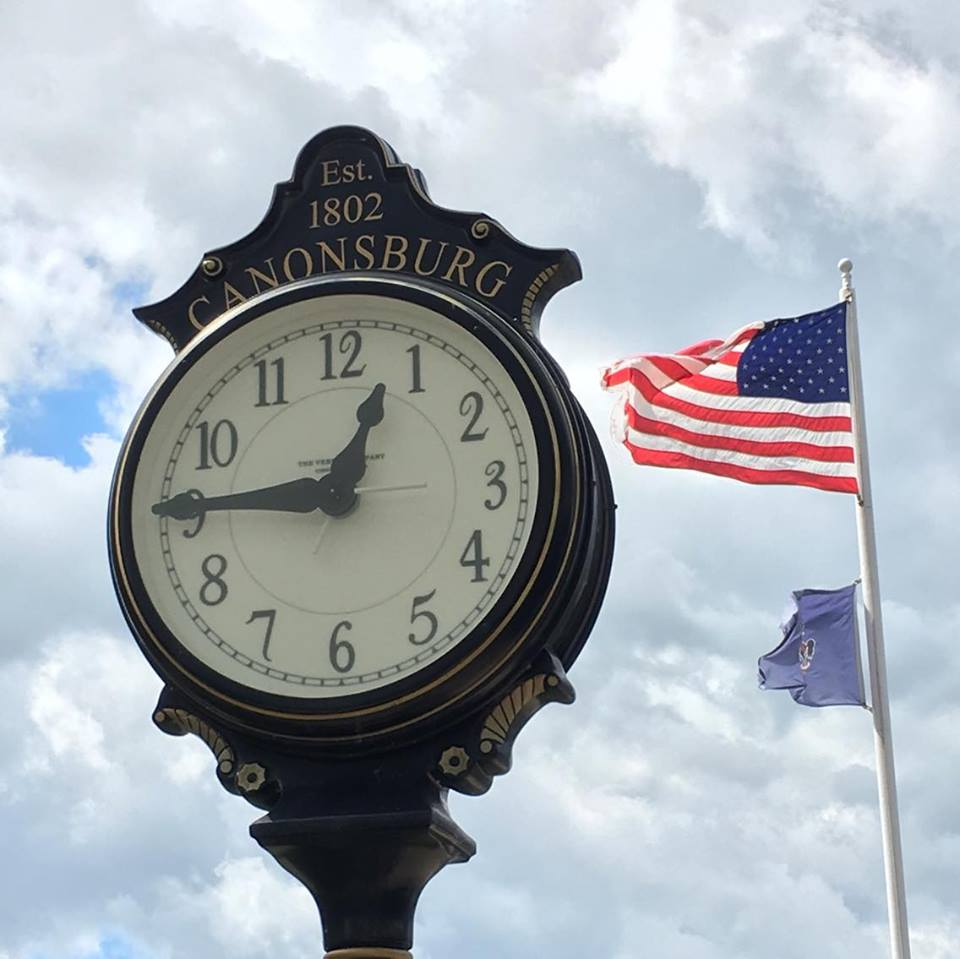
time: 12:45
